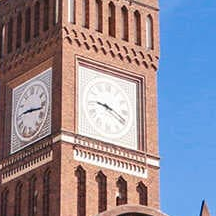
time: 9:18
